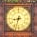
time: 8:33
